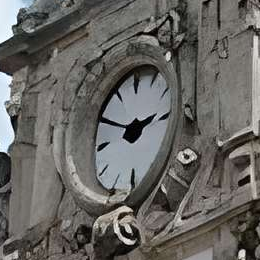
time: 2:49
